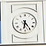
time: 6:23
